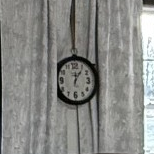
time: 12:06
